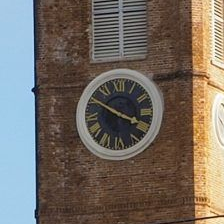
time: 3:50
